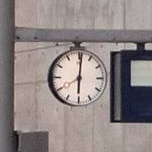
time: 6:00
